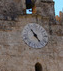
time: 4:54
